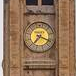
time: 7:18
